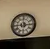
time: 6:14
